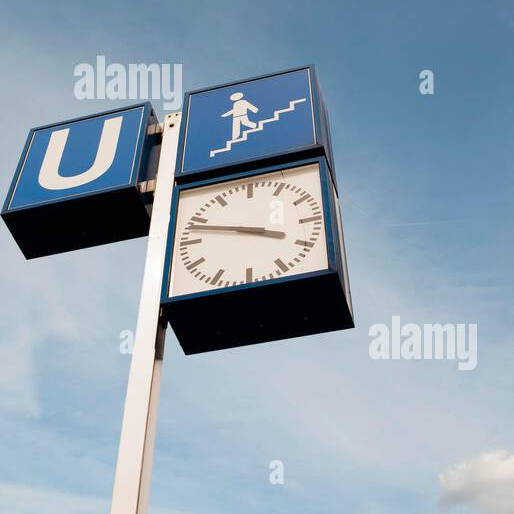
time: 3:48
